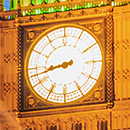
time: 8:42
